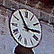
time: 2:54
